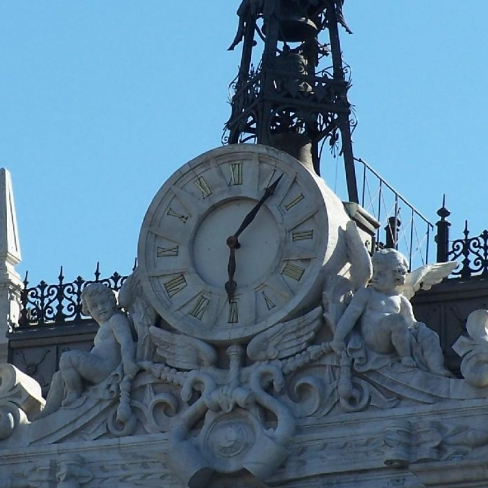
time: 6:07
